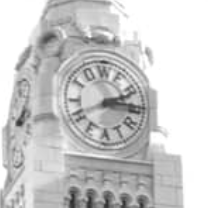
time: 2:15
